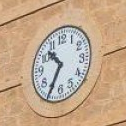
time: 10:34
